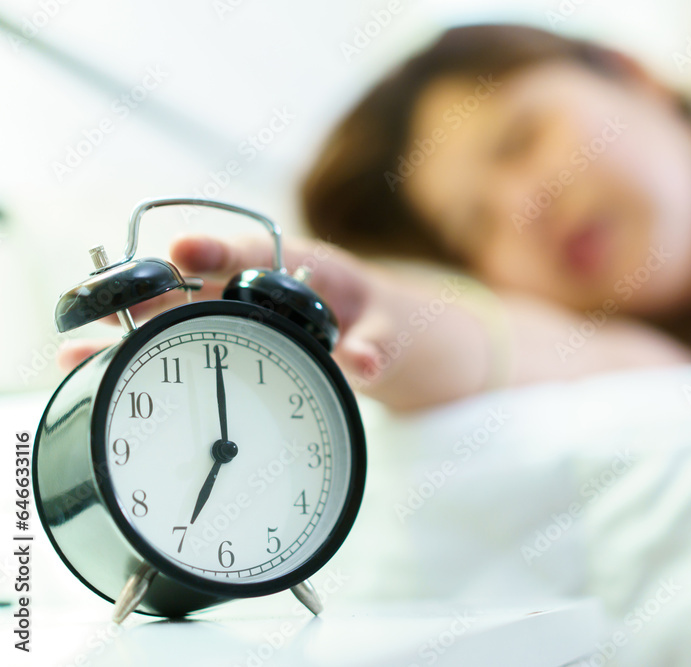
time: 7:00
